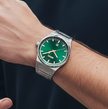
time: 5:12
